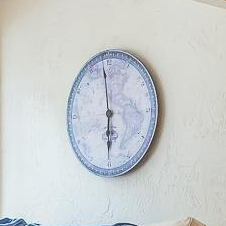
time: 5:59
